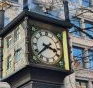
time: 3:37
